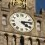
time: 4:13
